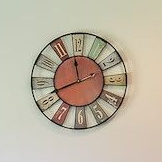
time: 11:41
